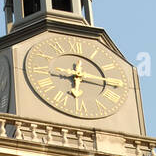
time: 6:16
